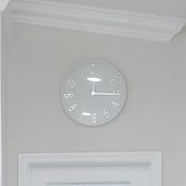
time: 12:15
